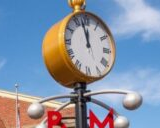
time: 11:57
